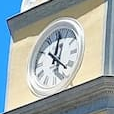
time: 12:22
